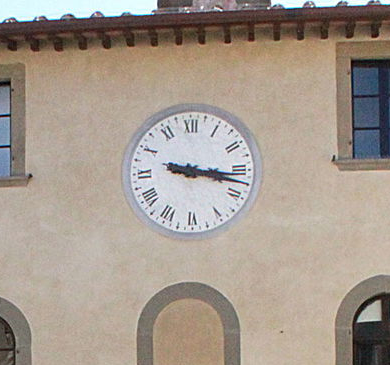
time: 3:17
